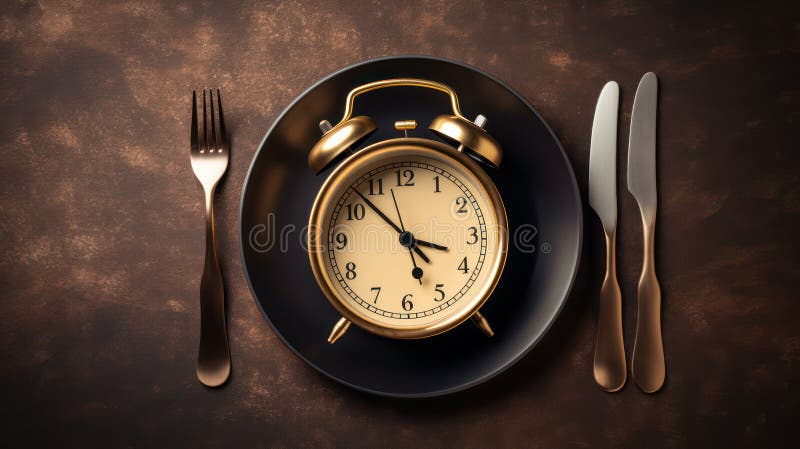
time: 3:52
